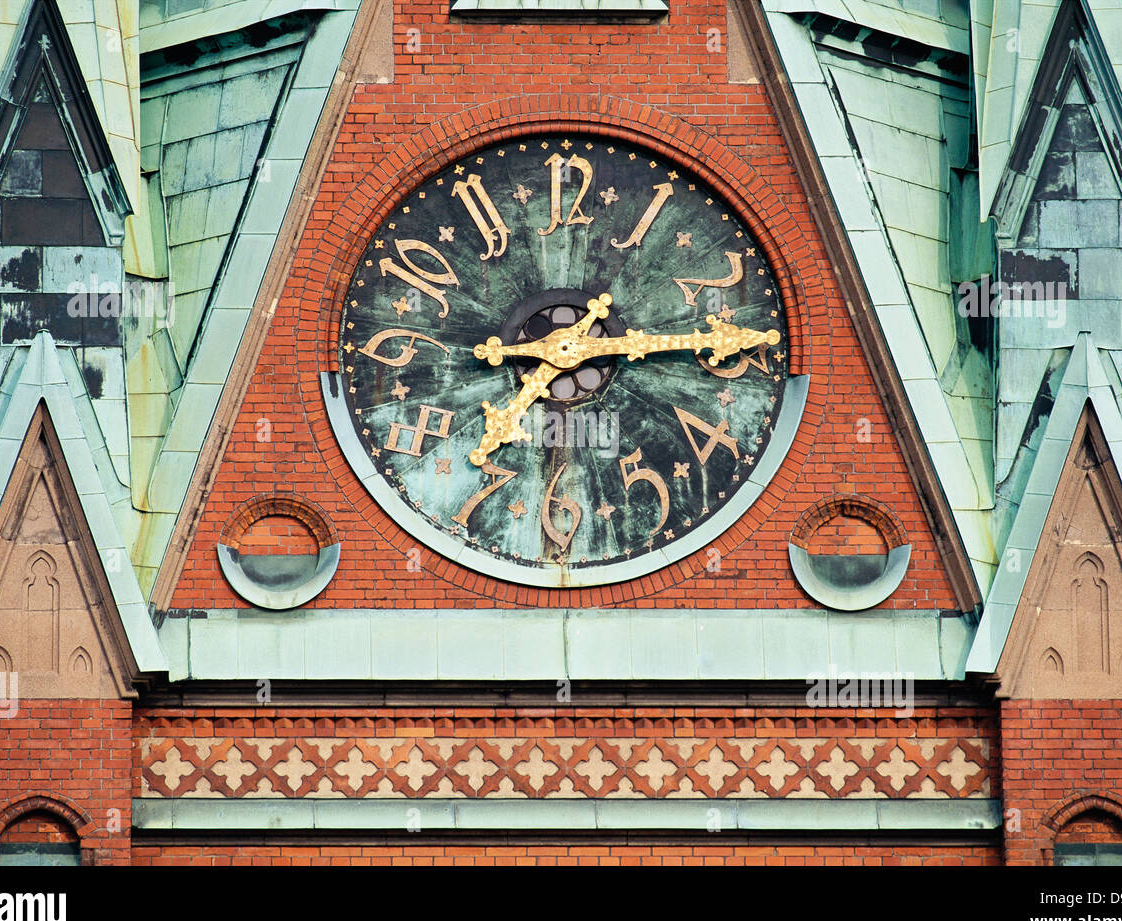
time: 9:13
